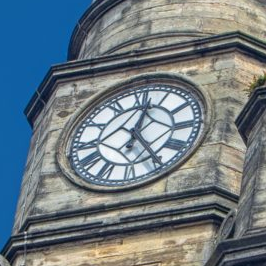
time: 12:24
